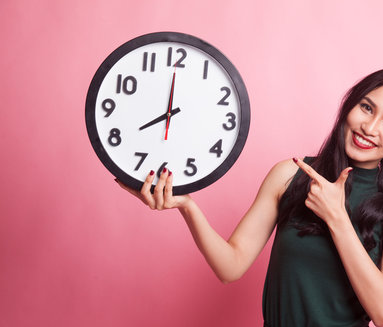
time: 7:59
